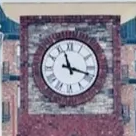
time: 11:18
